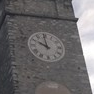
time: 9:59
